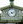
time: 4:12
